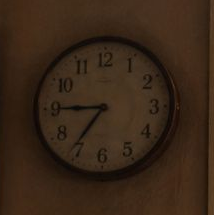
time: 8:36
